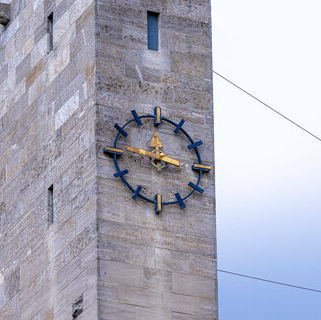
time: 11:46
